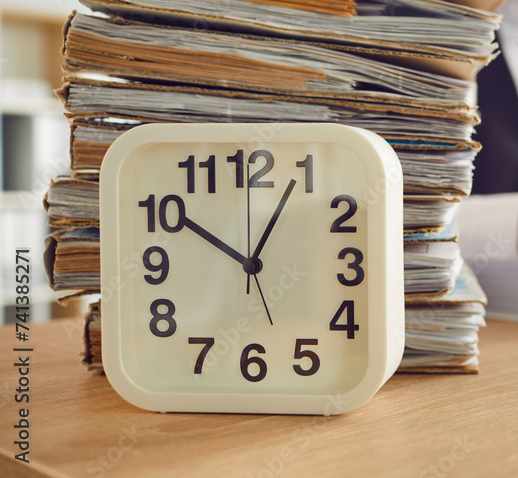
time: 10:04
